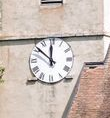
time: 11:51
